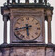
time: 5:42
